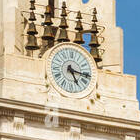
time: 5:16
